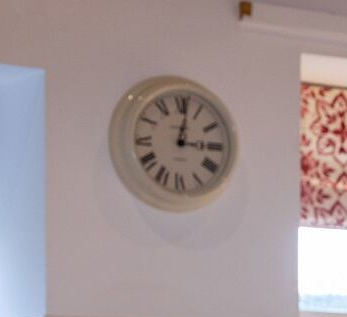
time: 3:01
